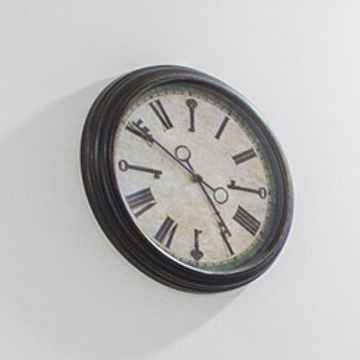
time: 4:50
